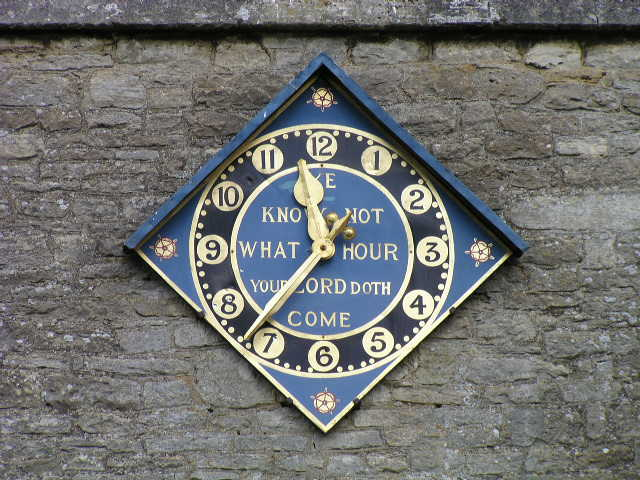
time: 11:37
